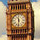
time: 11:31
